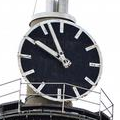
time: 9:56
